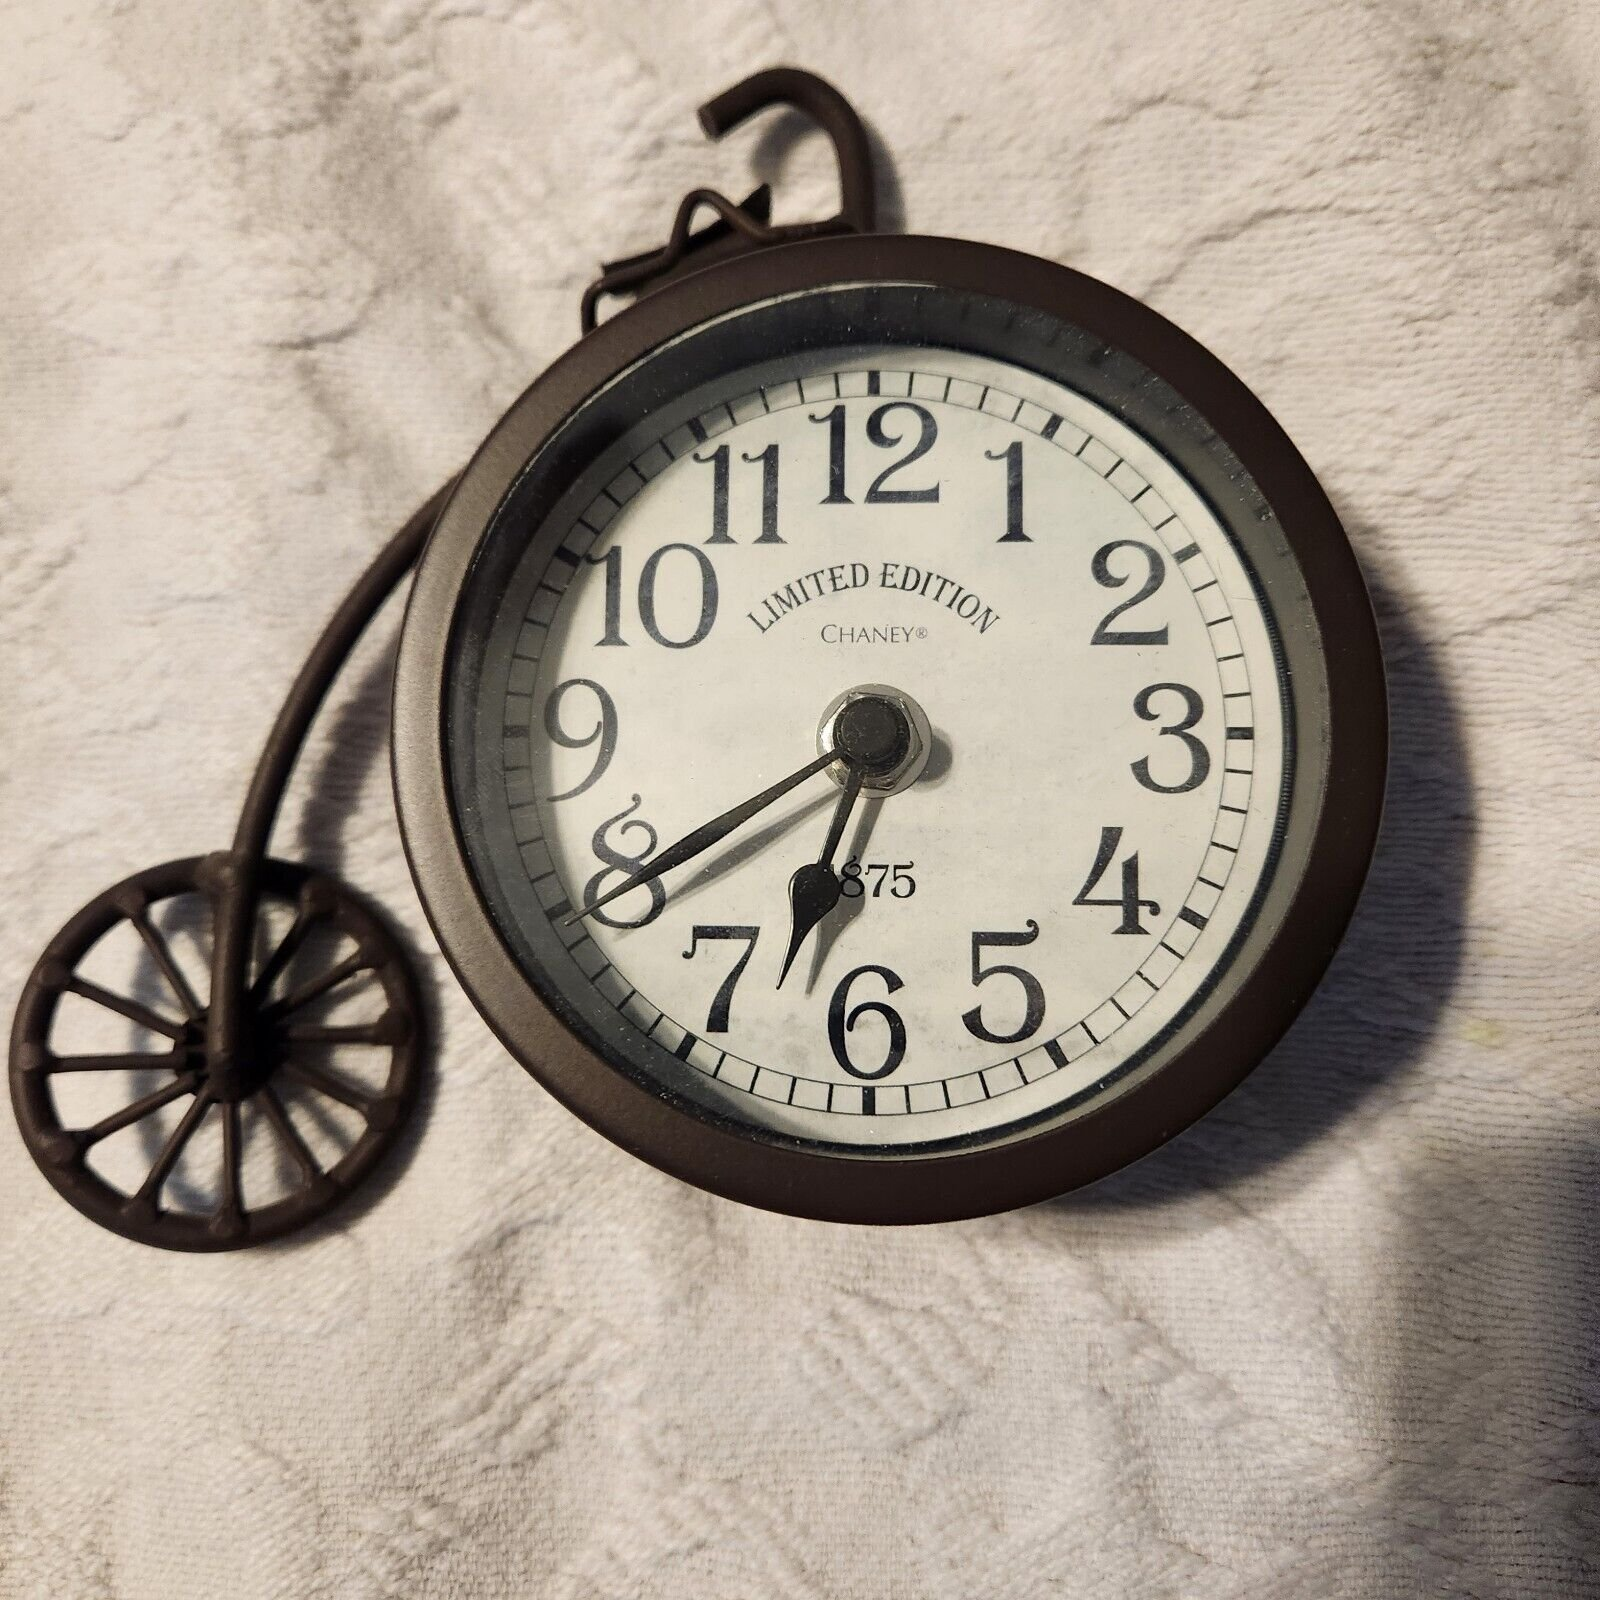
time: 6:39
